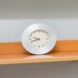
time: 9:41
